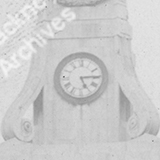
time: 5:14
